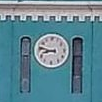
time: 8:47
